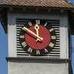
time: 11:51
